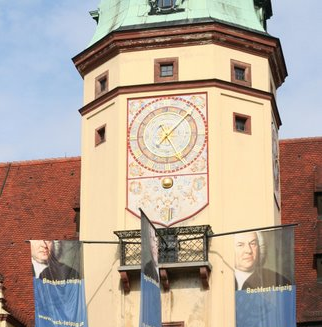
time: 11:07
